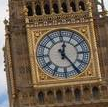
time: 12:24
